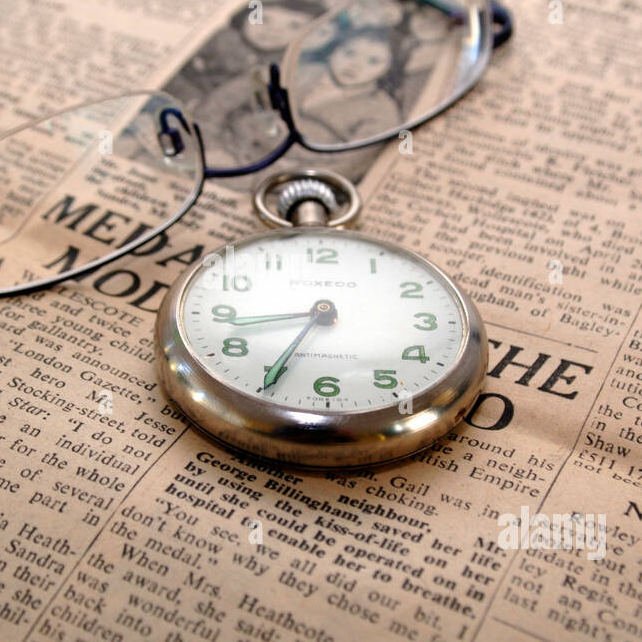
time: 8:34
